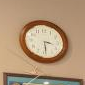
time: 3:29
